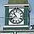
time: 10:40
